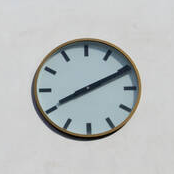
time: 8:10
